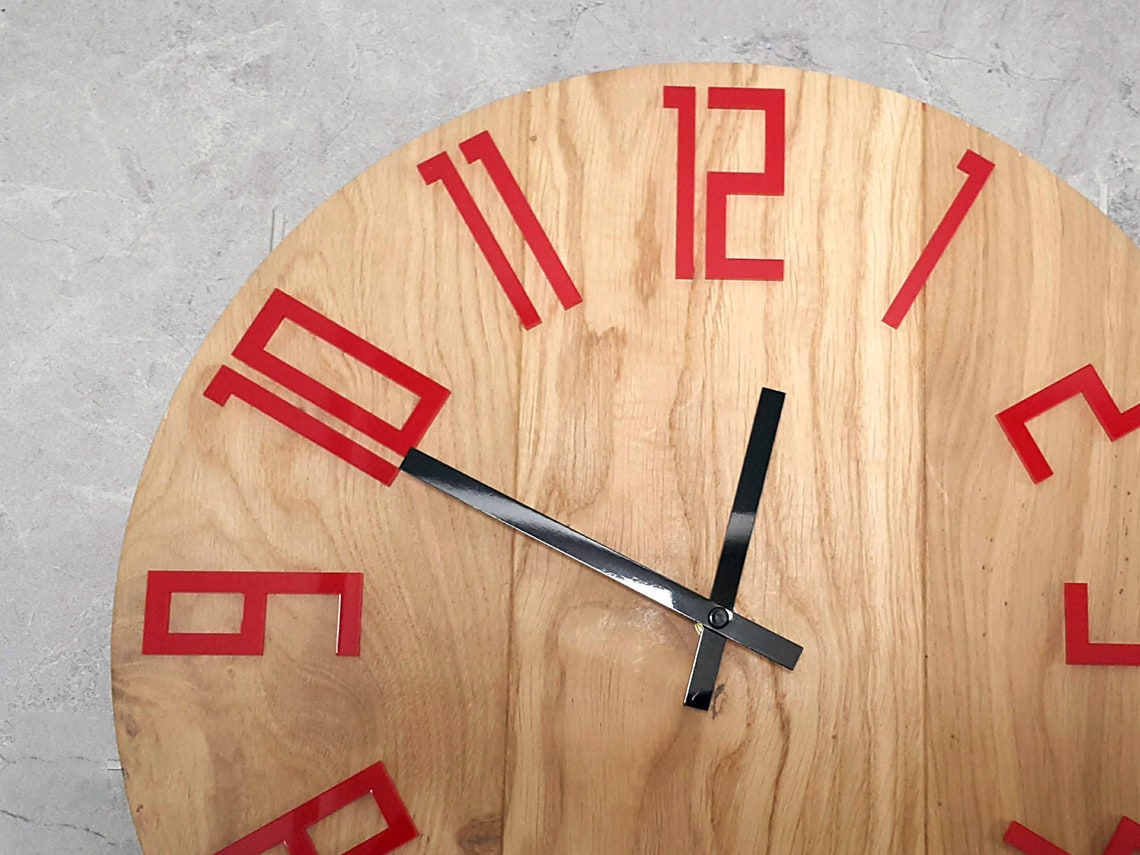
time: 12:49
